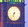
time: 6:36
